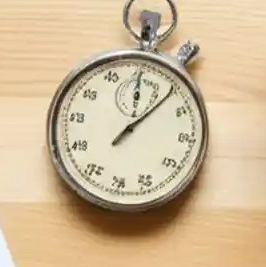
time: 12:06
